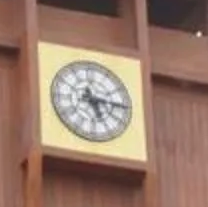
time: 5:15
